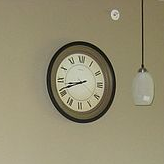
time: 8:41
